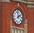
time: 1:59
